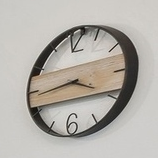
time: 3:43
